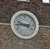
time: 9:44
